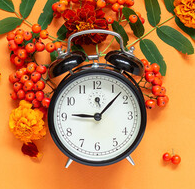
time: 9:07
